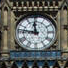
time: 11:46
